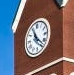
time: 11:22
